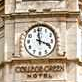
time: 3:58
